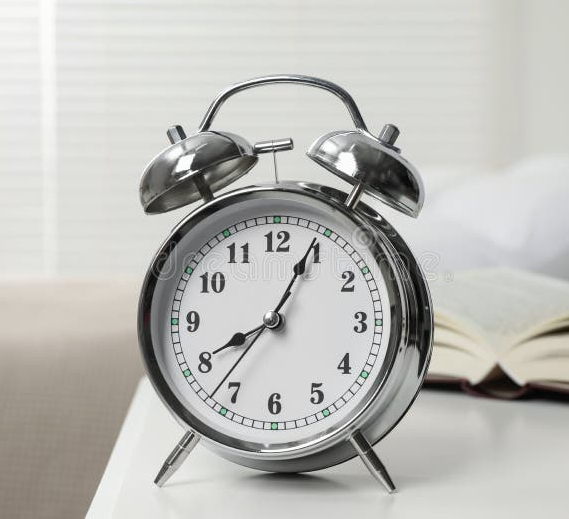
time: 8:04
